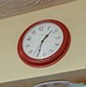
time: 1:34
